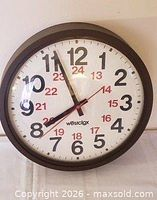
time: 7:56
